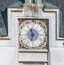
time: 11:32
